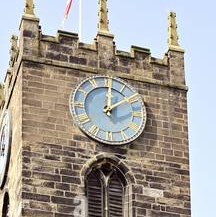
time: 12:07
